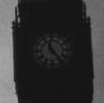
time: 11:23
